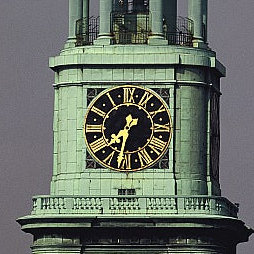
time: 7:32
